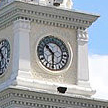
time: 10:30
